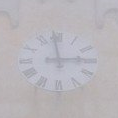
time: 2:58
